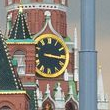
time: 3:16
